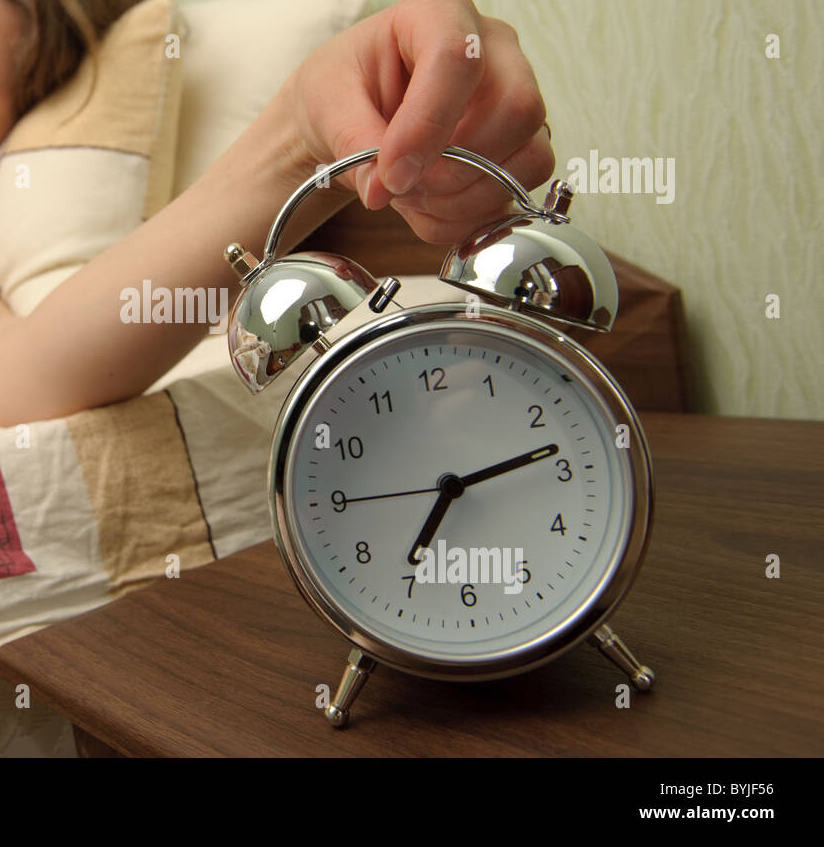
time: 7:13
